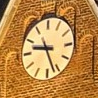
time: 9:26
